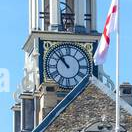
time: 10:52
